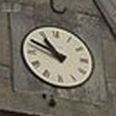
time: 10:49
